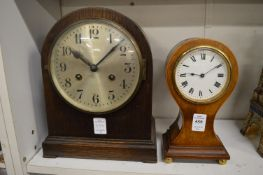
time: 10:07
